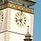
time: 6:41
